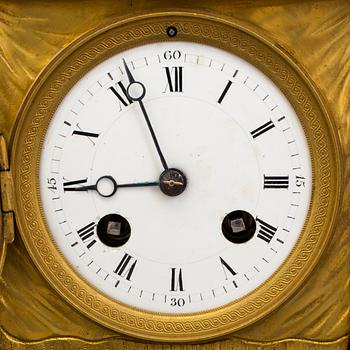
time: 8:56
